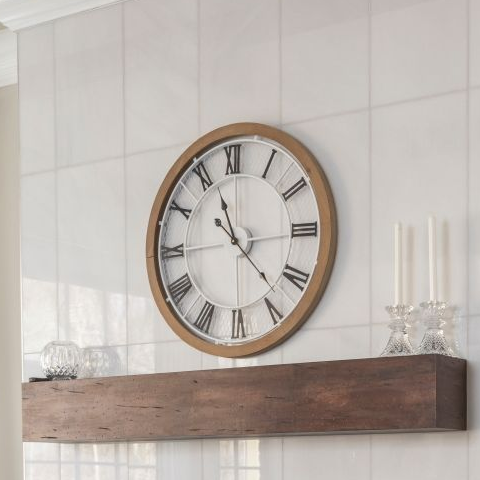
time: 11:22
